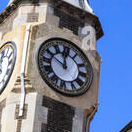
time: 11:49
